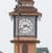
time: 3:38
